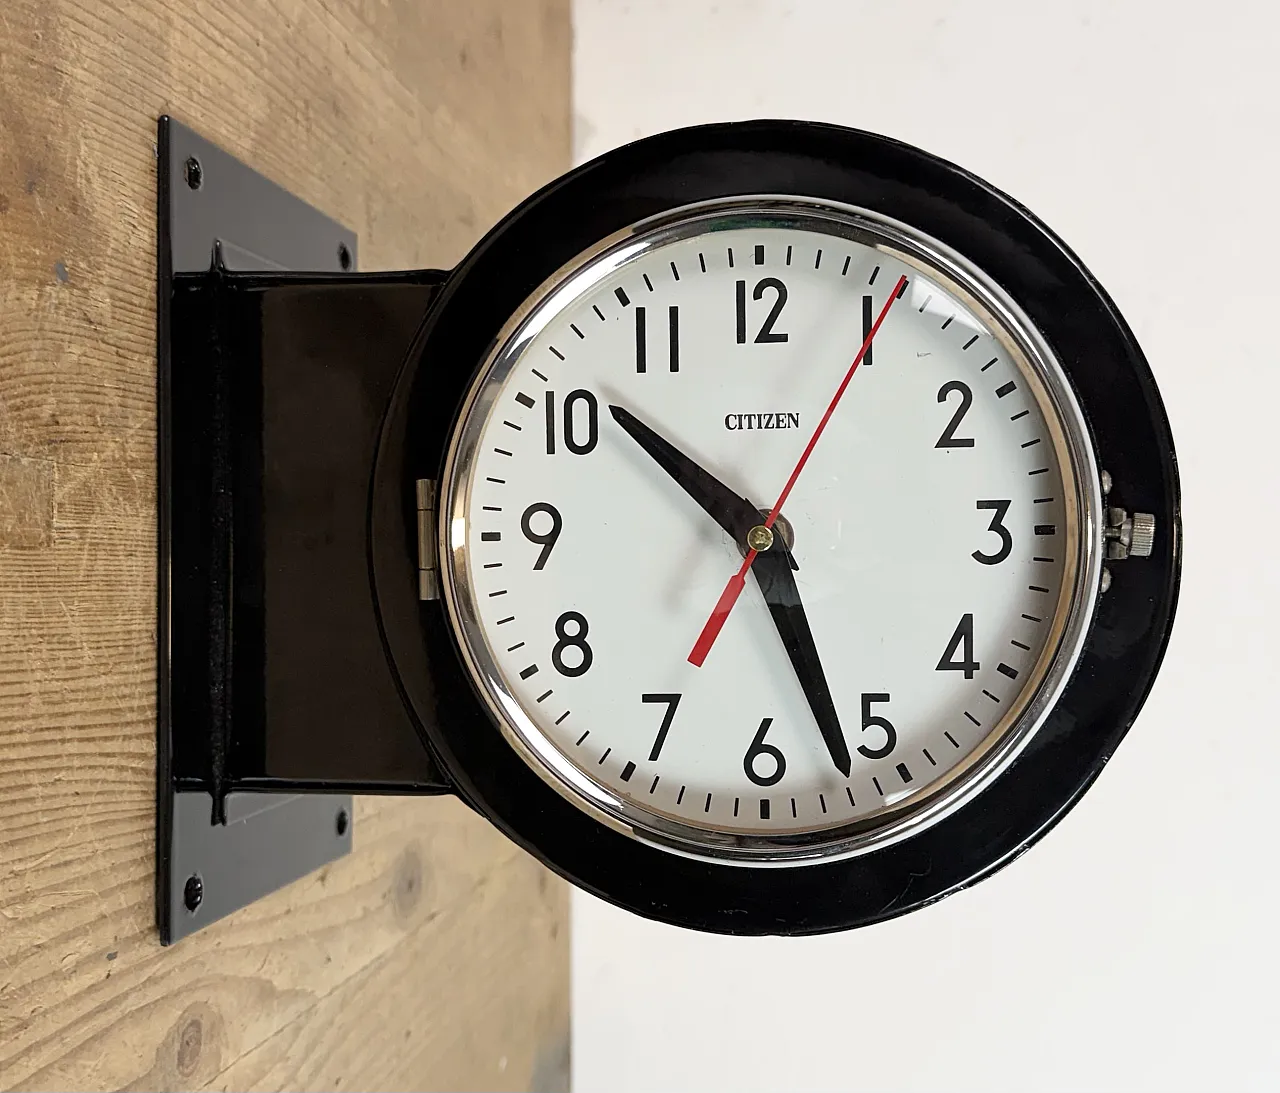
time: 10:26
